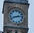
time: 2:42
